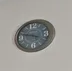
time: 3:47
